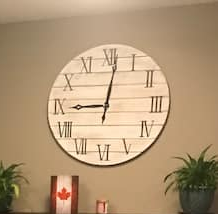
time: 9:01
